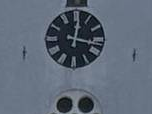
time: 12:16
